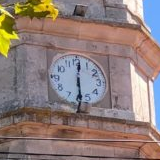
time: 6:01
